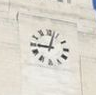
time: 9:02
